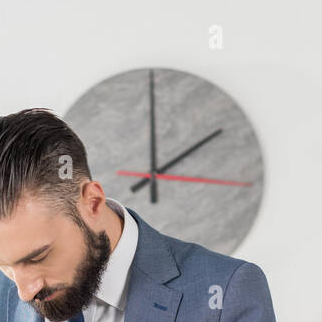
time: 2:00
